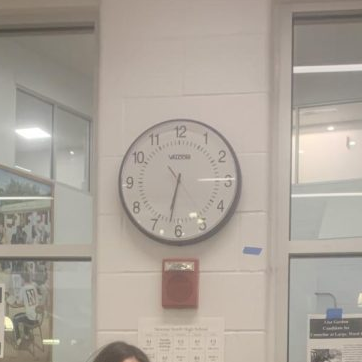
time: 6:32
